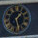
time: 1:28
